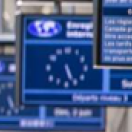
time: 5:26
